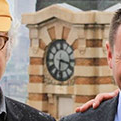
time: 3:31
